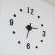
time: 2:32
